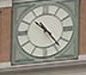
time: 10:23
